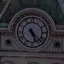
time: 5:22
